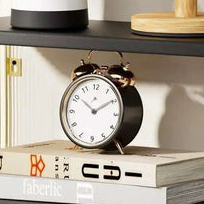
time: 10:09
